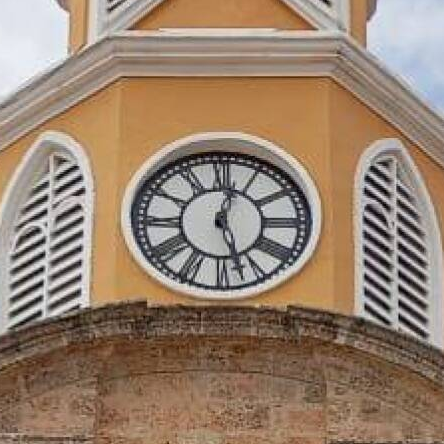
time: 12:26
